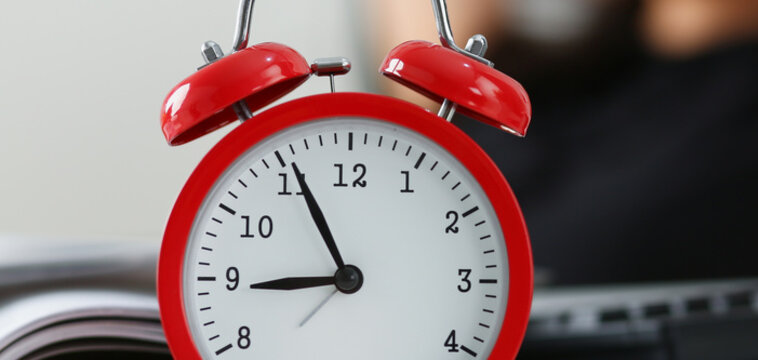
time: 8:55
